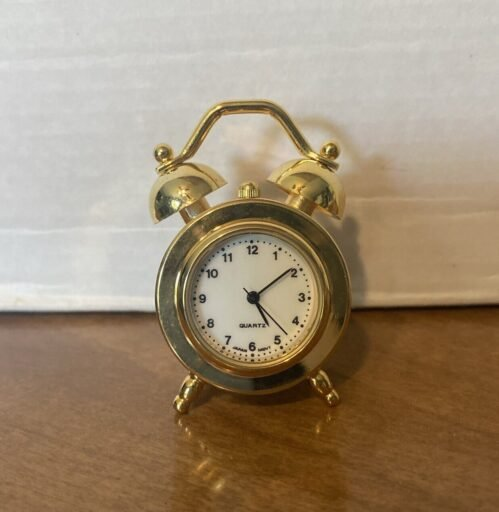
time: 5:09
